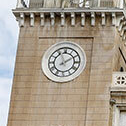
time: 1:56
